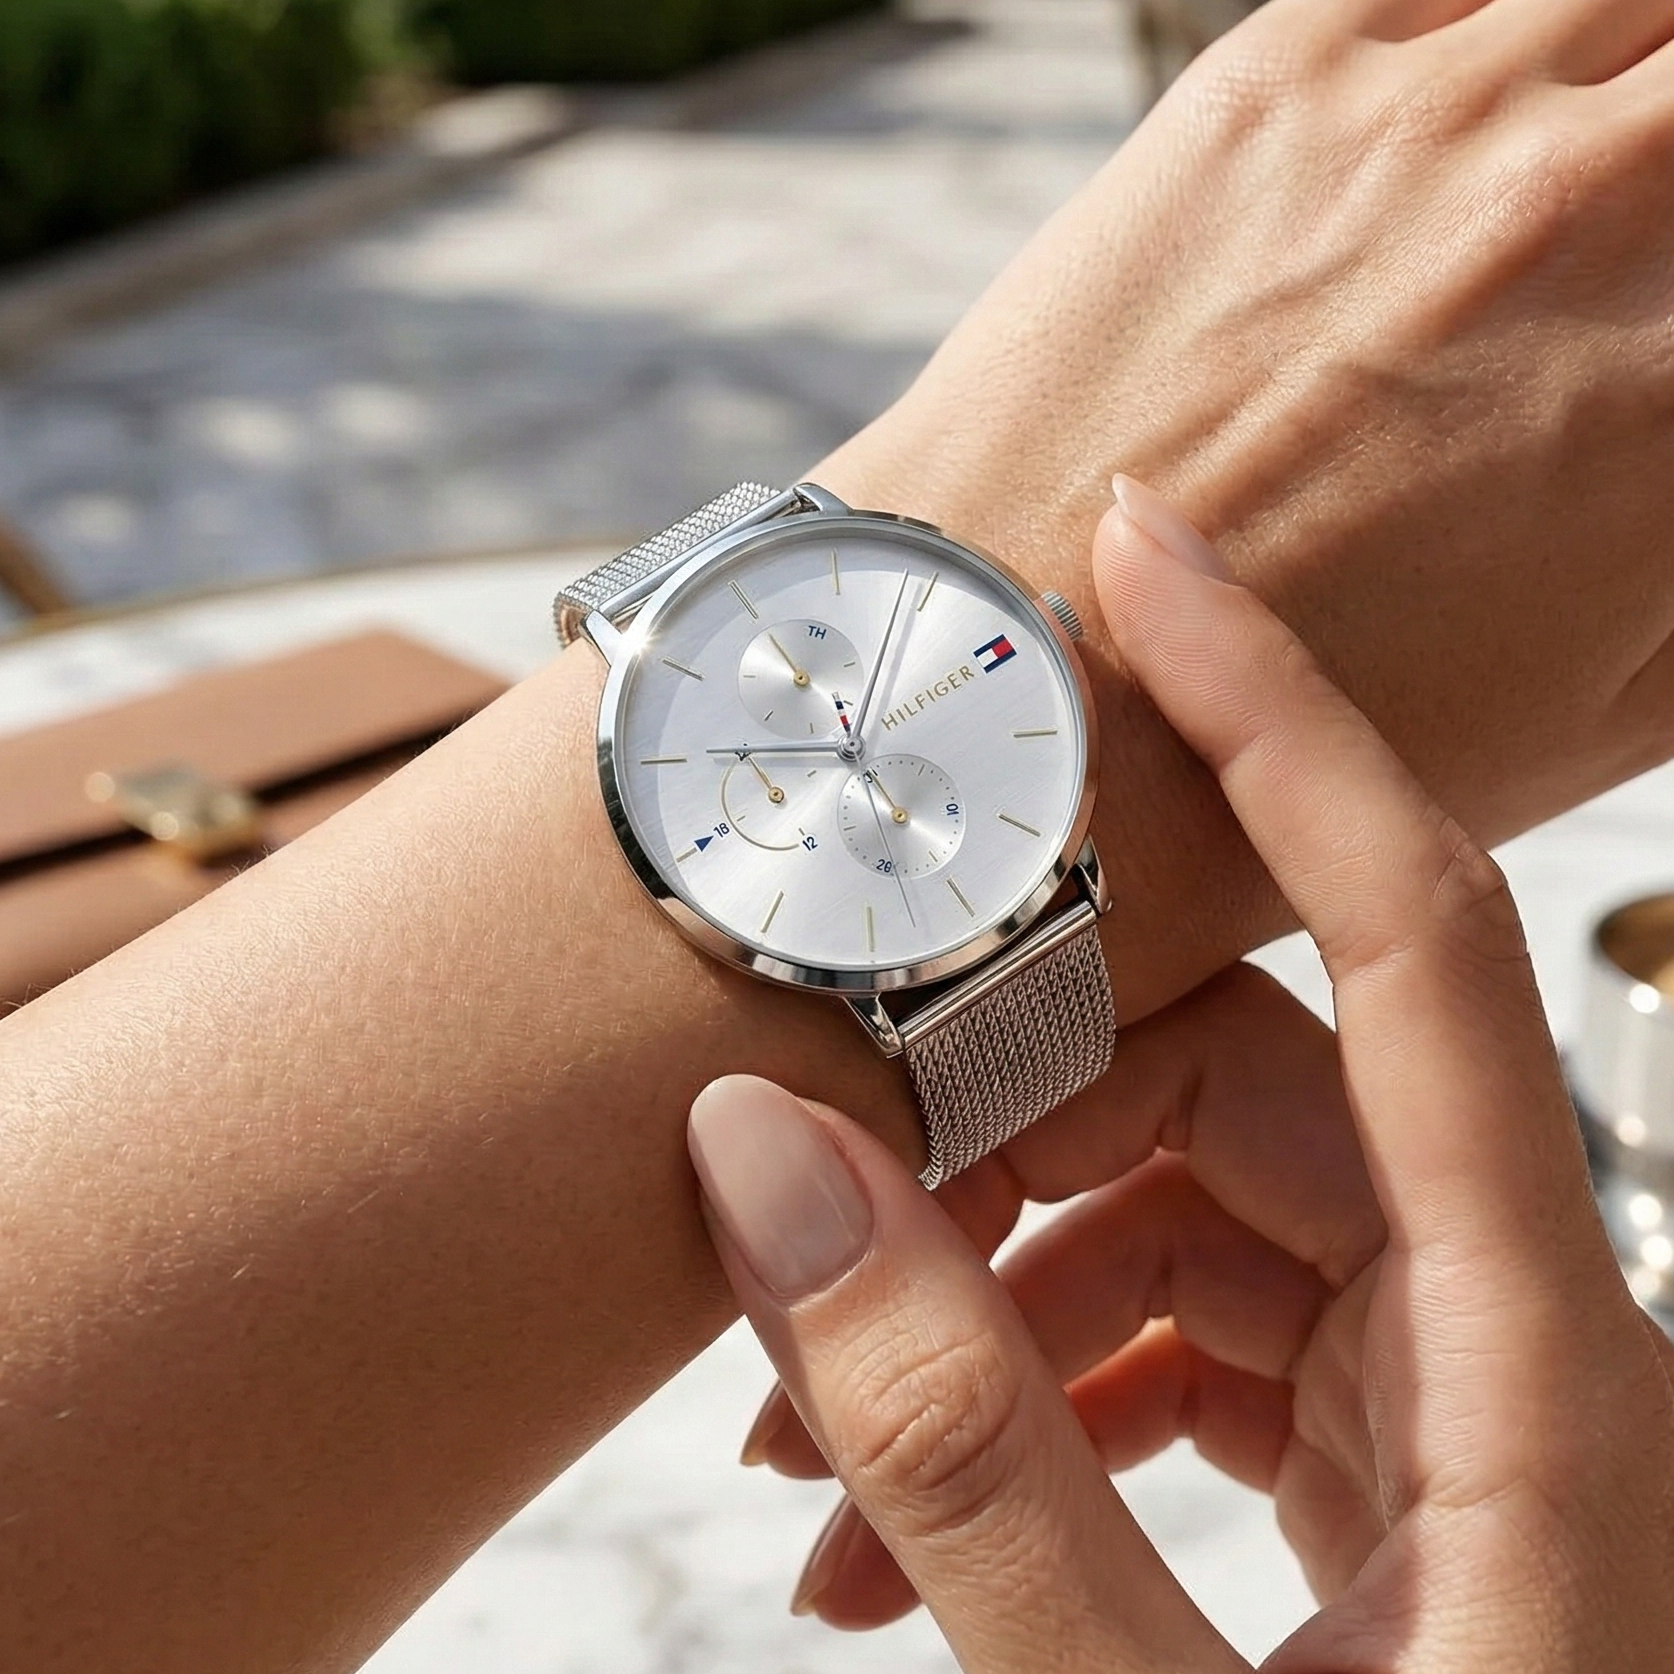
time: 11:04
